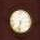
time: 6:32
